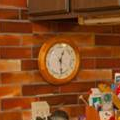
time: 12:28
